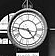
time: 4:46
